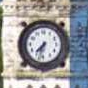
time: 7:32
